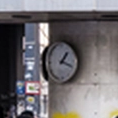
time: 1:18
